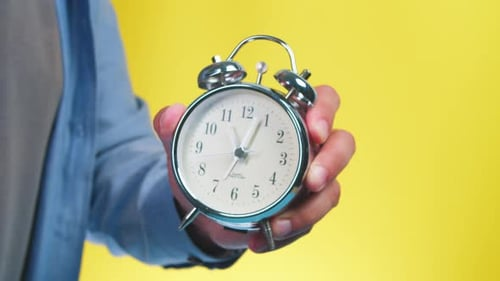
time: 11:04
